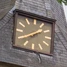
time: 1:39
